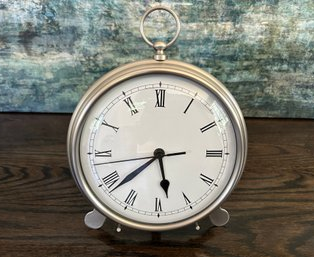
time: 5:38
